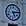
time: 5:13
